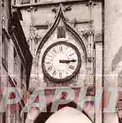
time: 3:14
